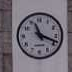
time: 11:18
